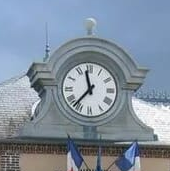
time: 11:36
